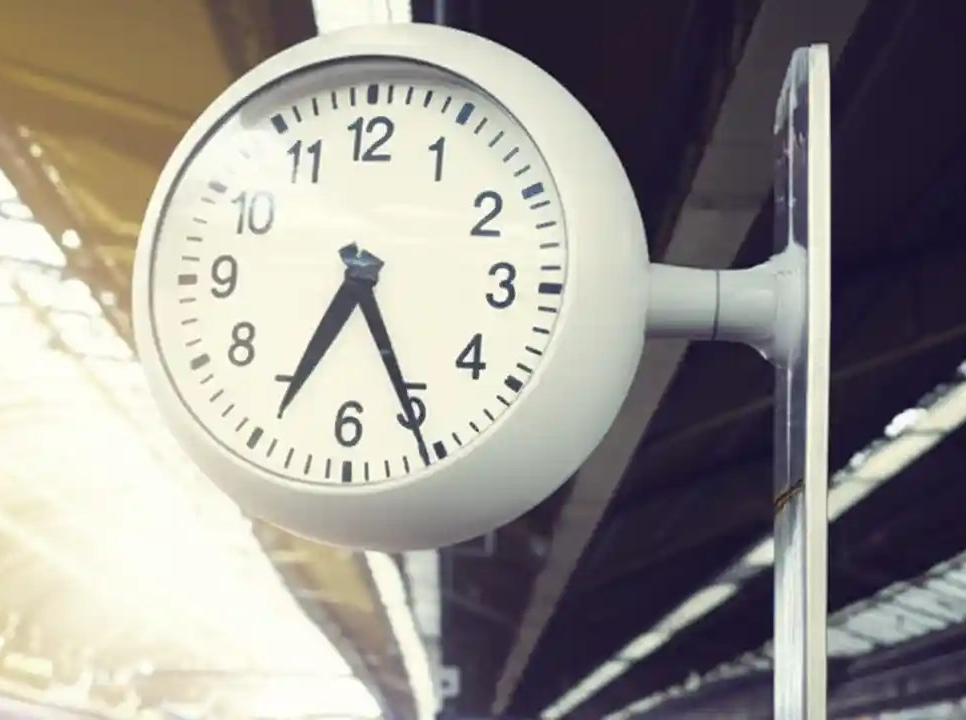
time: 6:25
